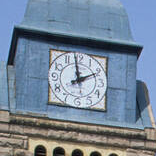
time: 1:58
